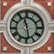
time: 11:28
